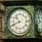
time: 10:41
